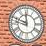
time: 11:47
